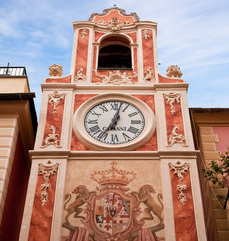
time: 7:02
